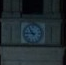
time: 10:45
